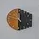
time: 5:59
